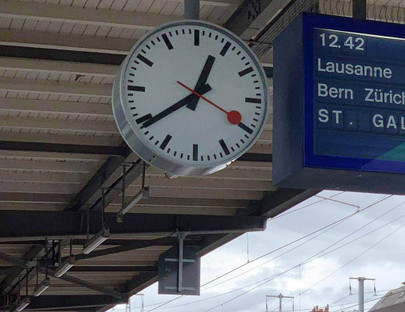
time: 12:39
